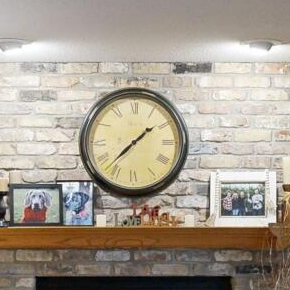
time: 1:37
